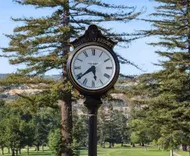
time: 5:38
